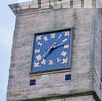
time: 2:37
